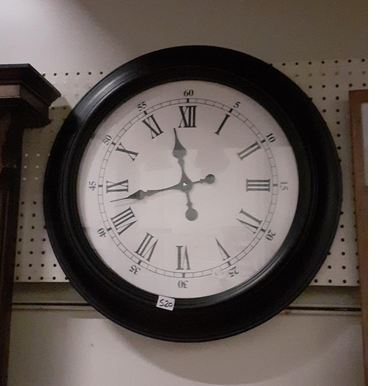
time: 11:42
